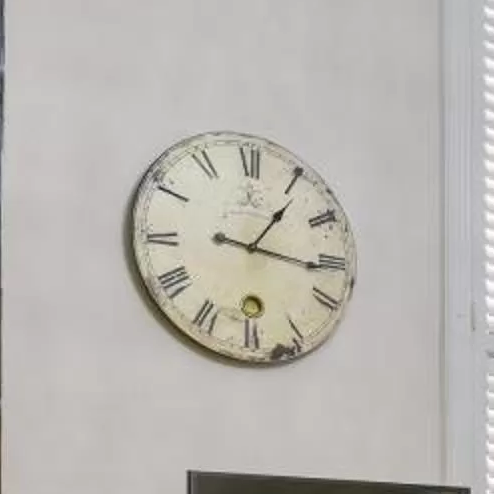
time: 1:16
